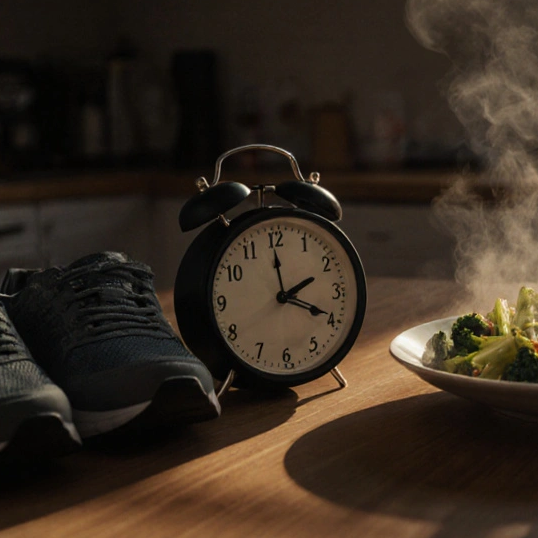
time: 2:19
